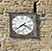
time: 3:38
